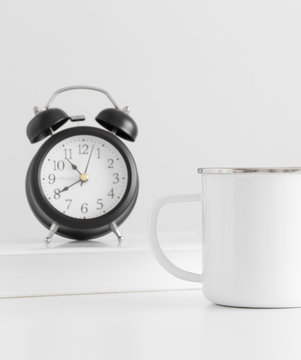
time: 10:40
